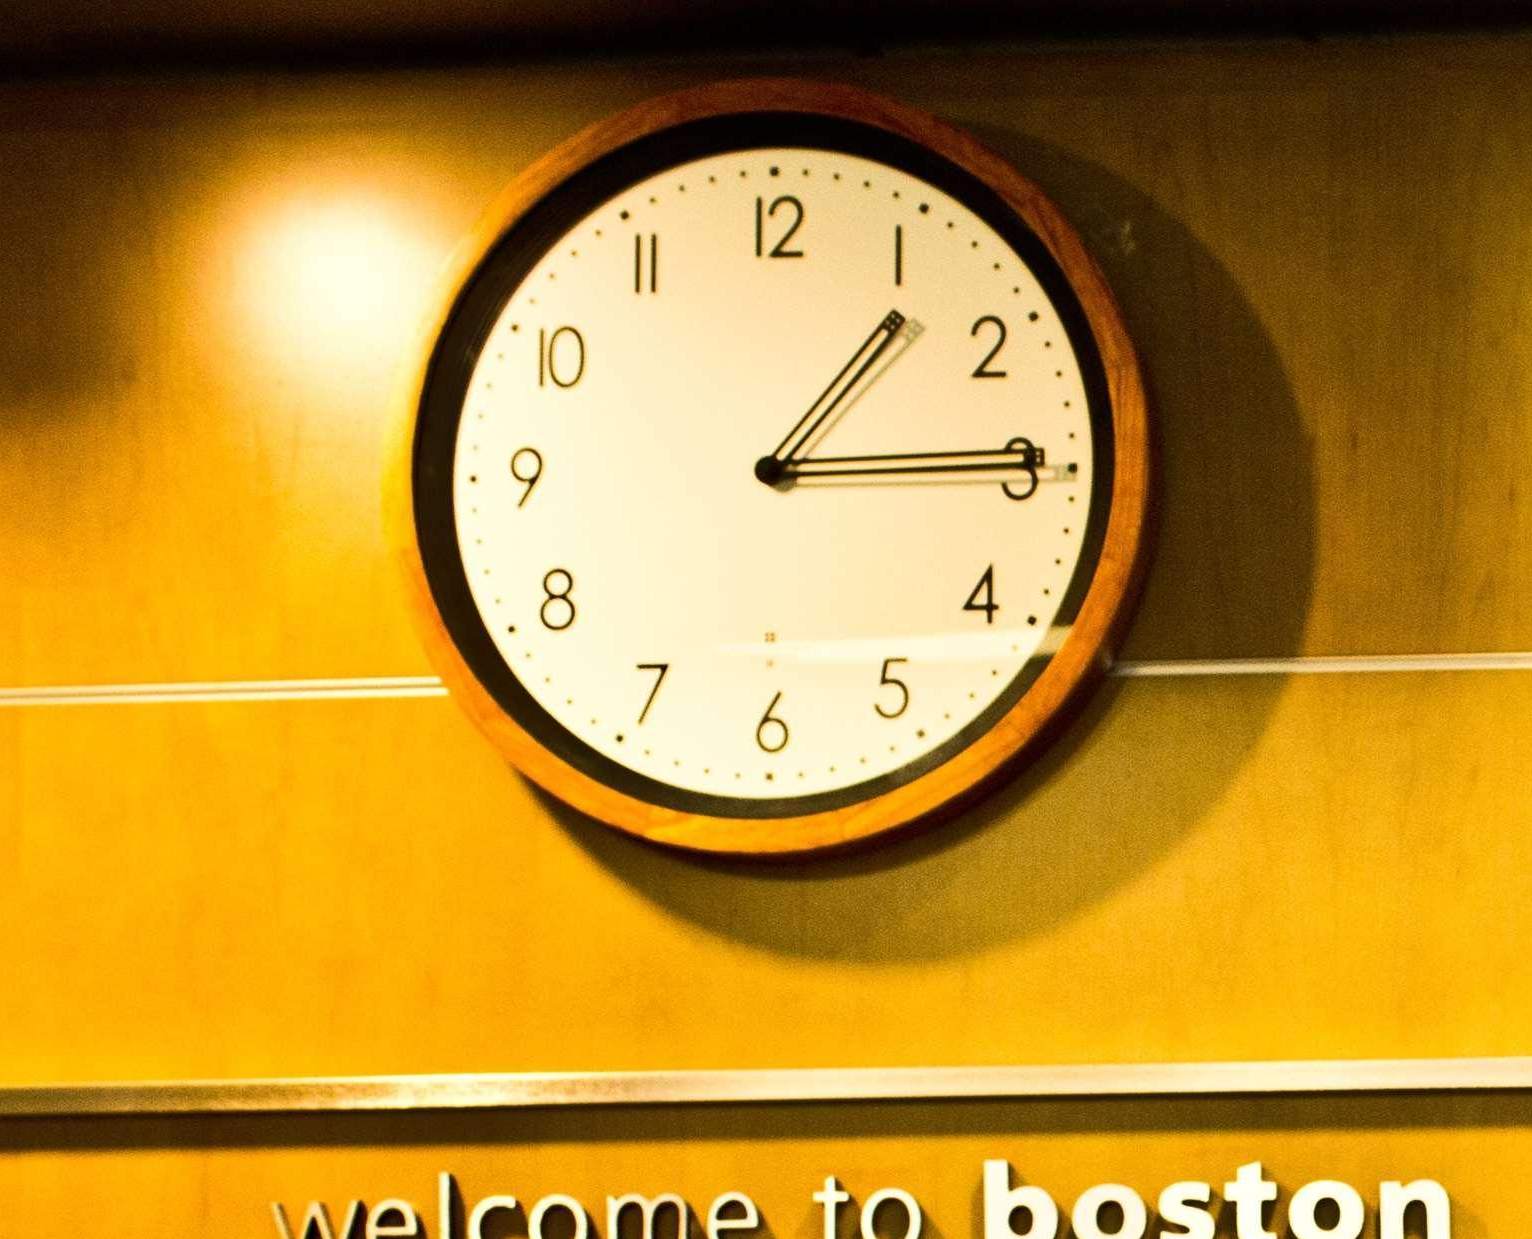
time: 1:14
